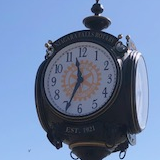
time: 11:34
